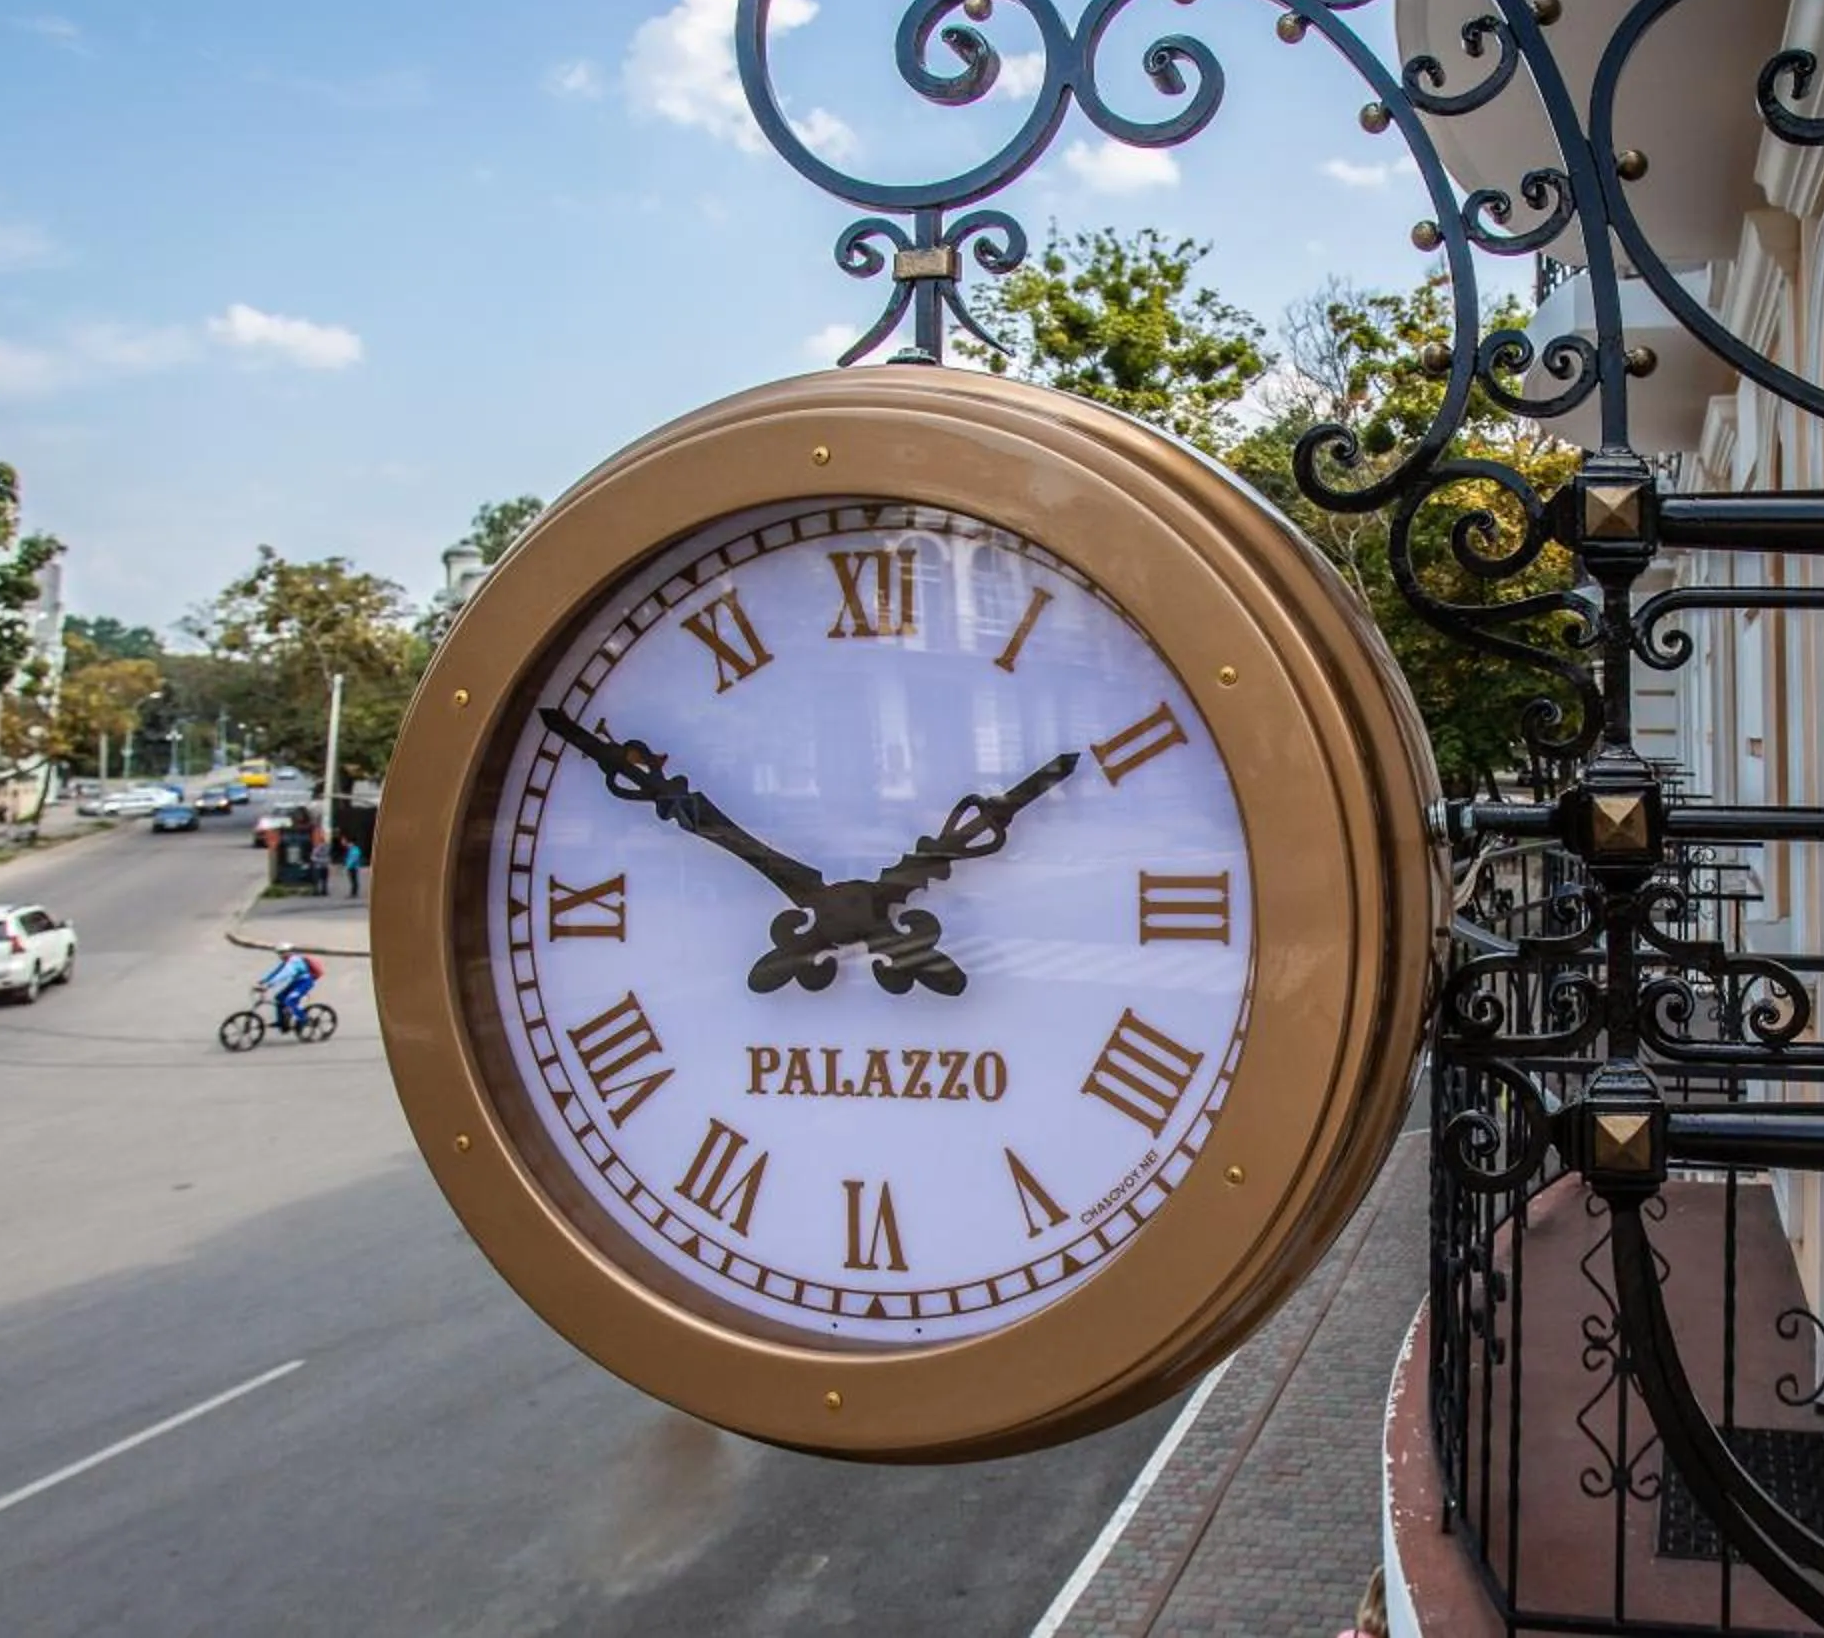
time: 1:50
